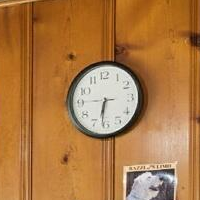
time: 6:31
